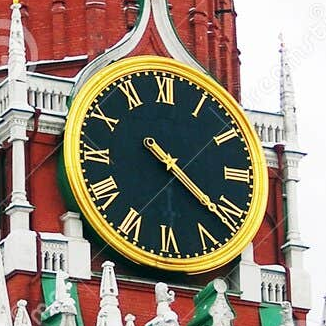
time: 4:21
